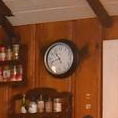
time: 10:42
